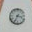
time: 3:34
